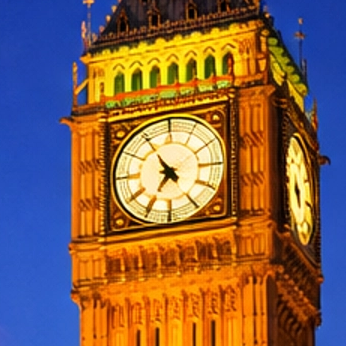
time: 6:54
